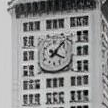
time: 4:07
